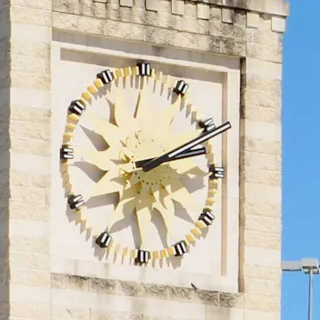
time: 2:12
